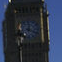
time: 12:18
